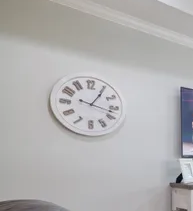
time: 1:17
